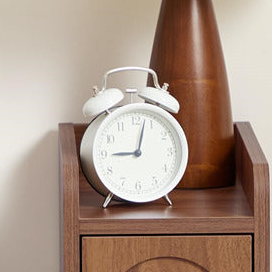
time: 9:02
